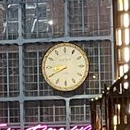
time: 8:40
